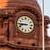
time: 8:45
